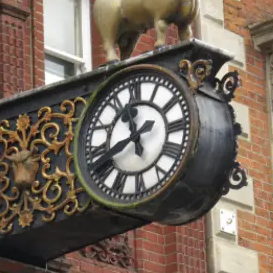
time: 11:41
